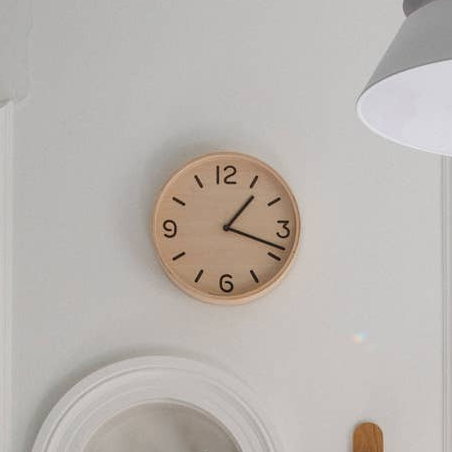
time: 1:18
